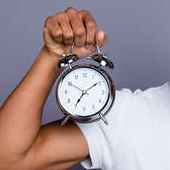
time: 7:09
